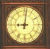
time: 9:01
